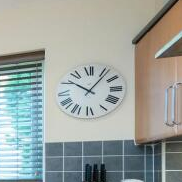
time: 10:06
